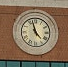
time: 4:57
